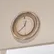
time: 12:37
